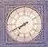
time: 7:40
